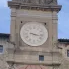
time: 3:16
